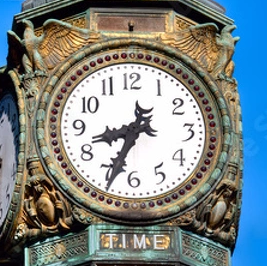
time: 8:34
